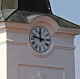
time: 11:47
